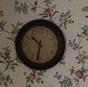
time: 10:32
